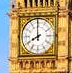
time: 7:59
